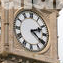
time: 2:21
